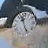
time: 11:25
